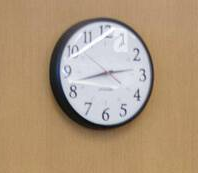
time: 2:42
